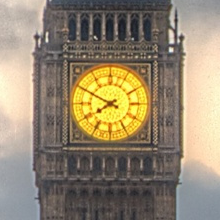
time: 7:49
